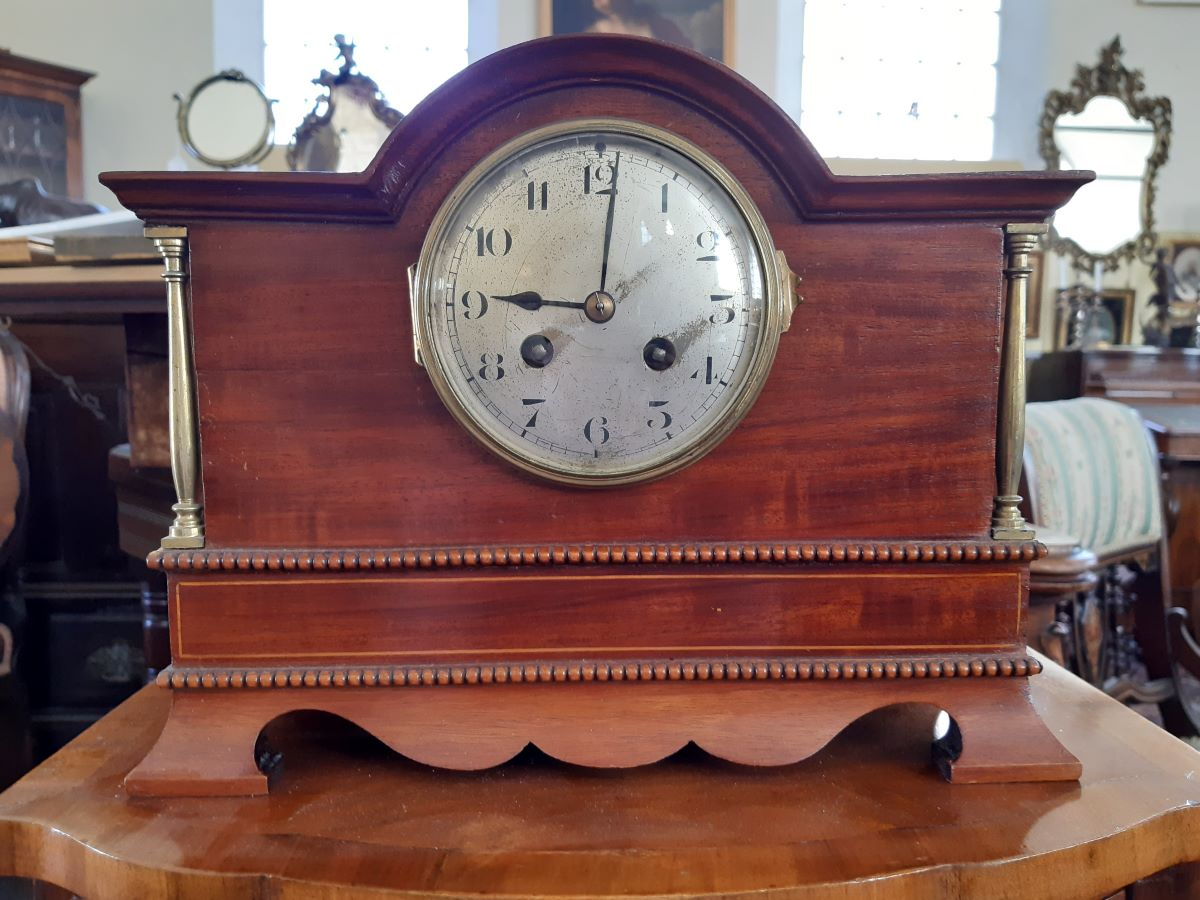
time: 9:01
